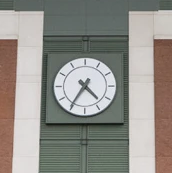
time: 4:35
